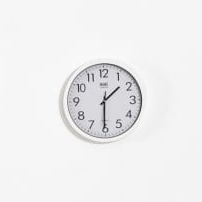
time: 1:30
